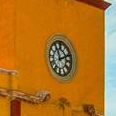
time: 11:11
